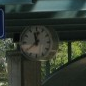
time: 11:38
